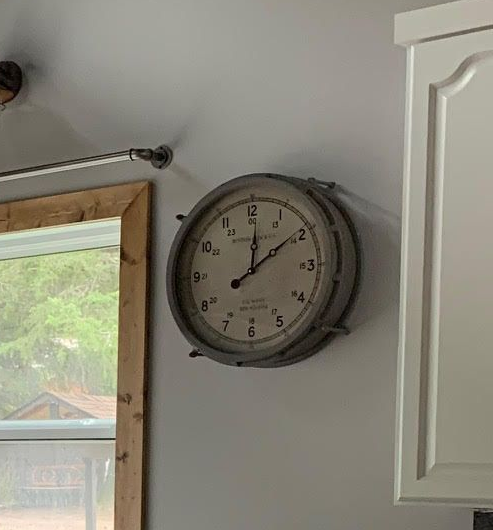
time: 12:09
